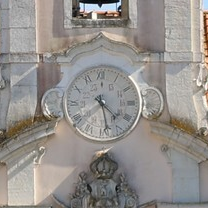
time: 4:28
